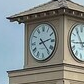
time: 2:23
